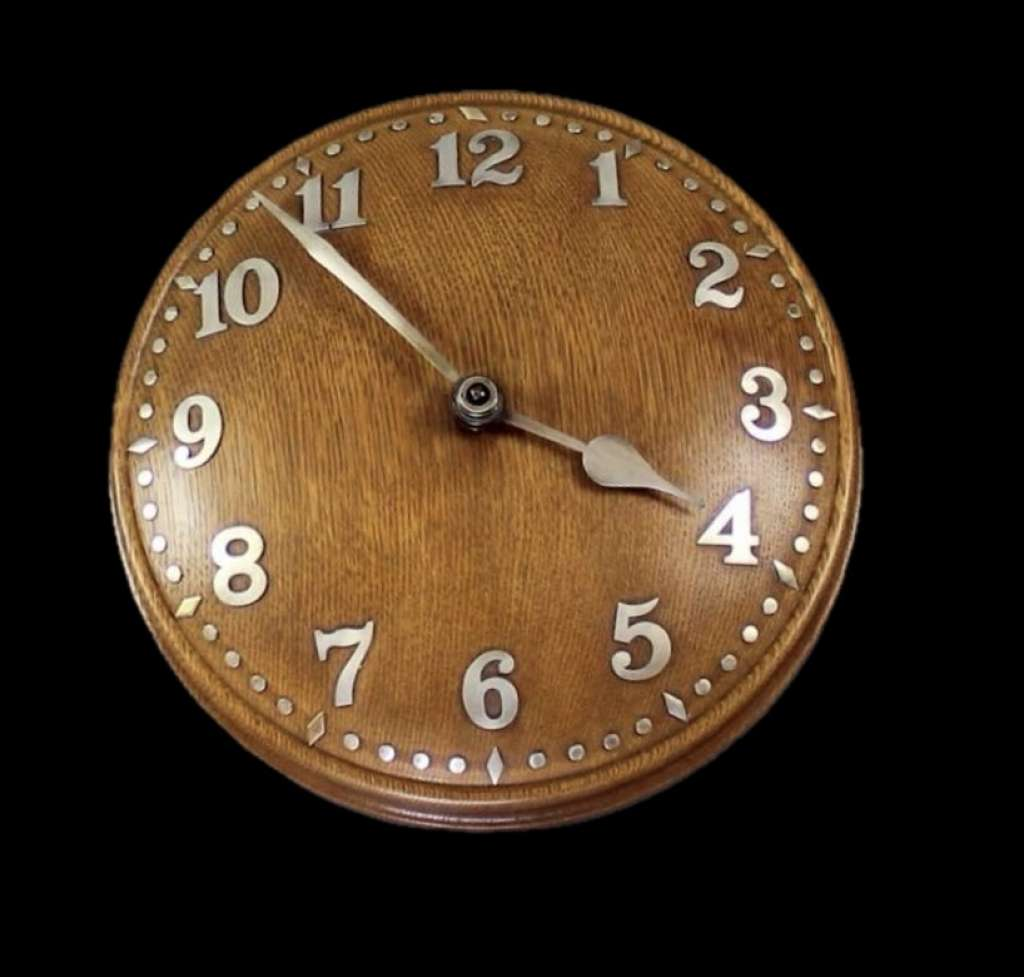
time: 3:53
